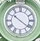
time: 10:20
